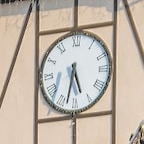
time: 5:32
